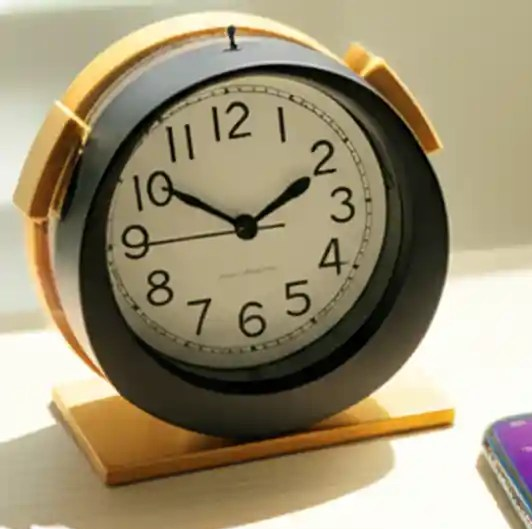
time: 10:10
